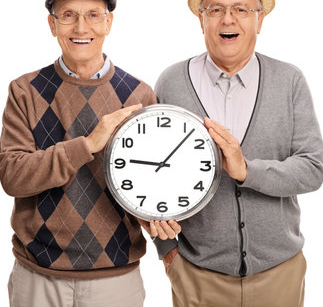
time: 9:07
